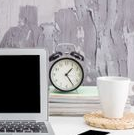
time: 1:24
